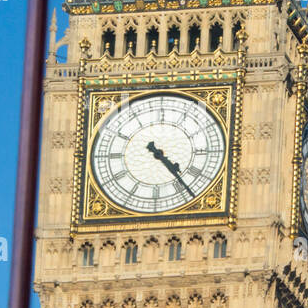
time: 4:23
